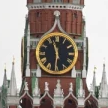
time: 11:31
